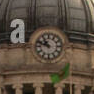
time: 10:48
